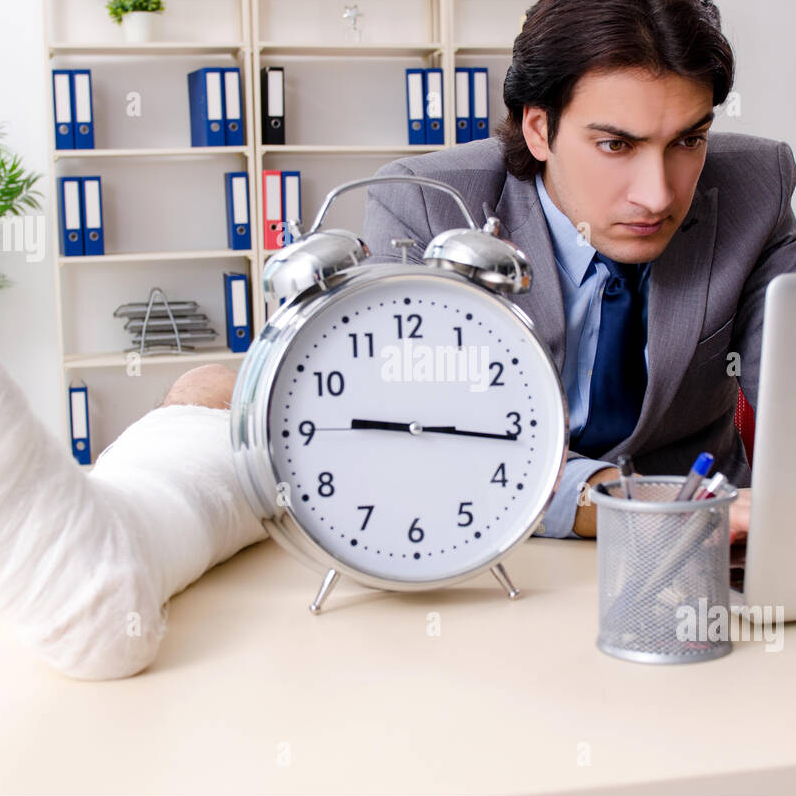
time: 9:16
